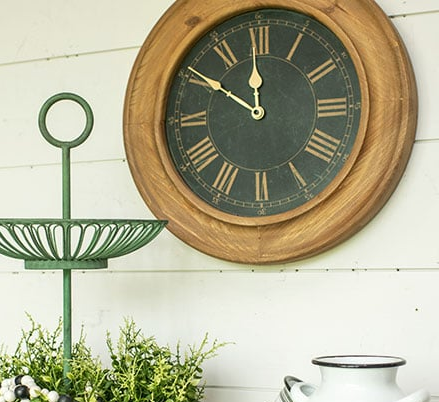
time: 11:50
